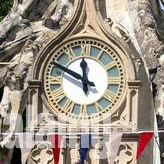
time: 11:49
